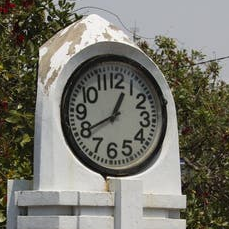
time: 12:40
